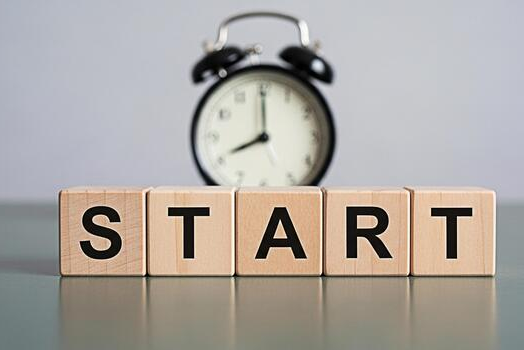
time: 8:00
